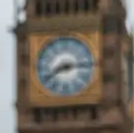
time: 8:14
